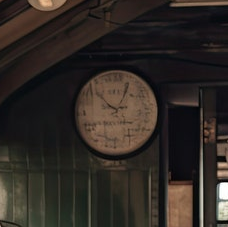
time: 12:52
